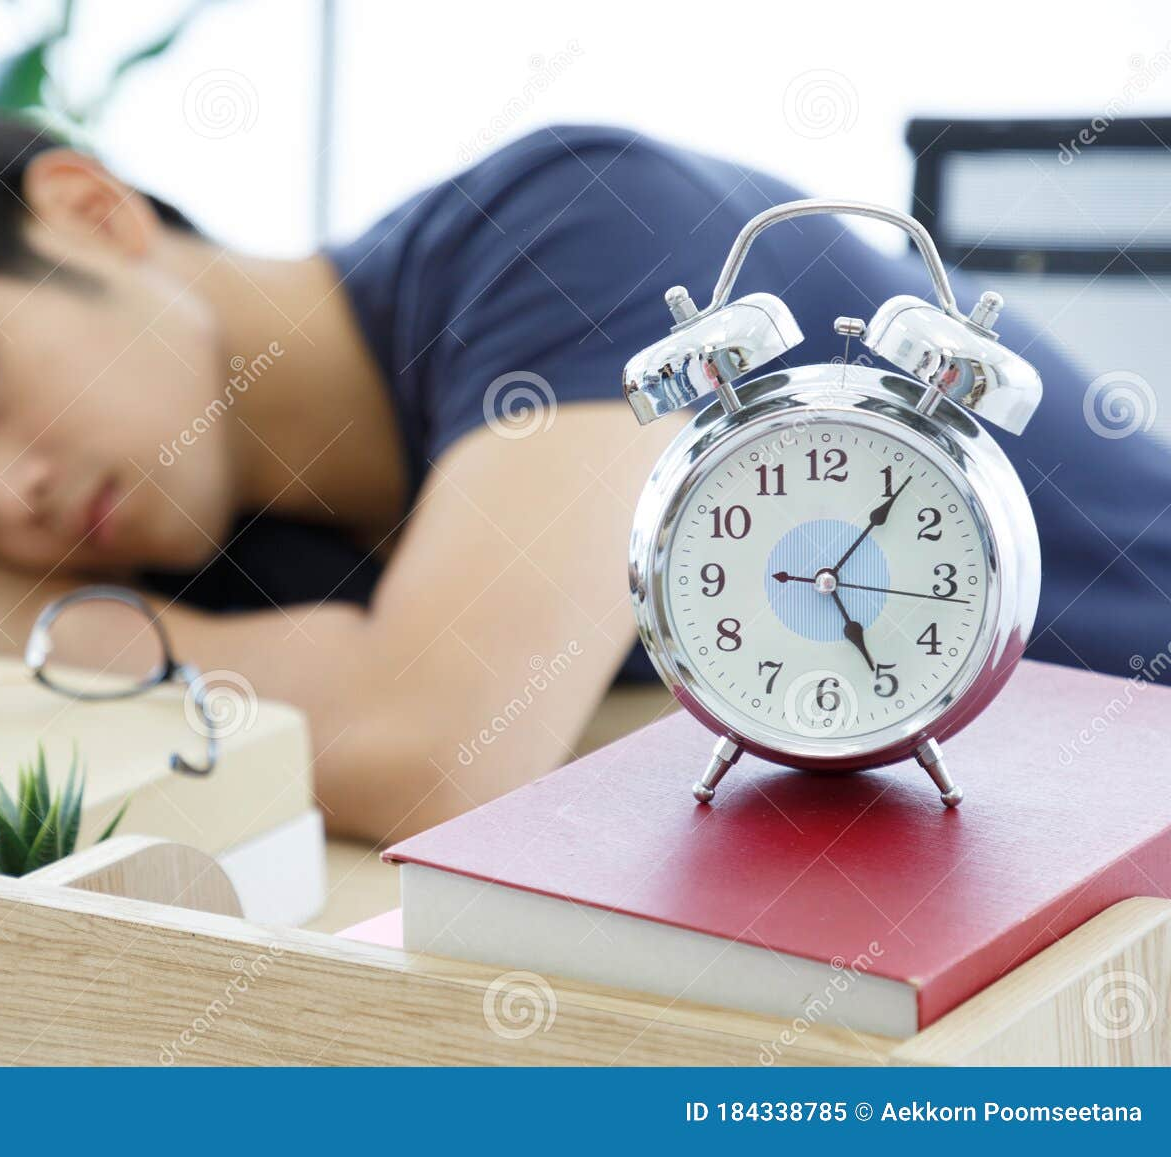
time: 5:06
